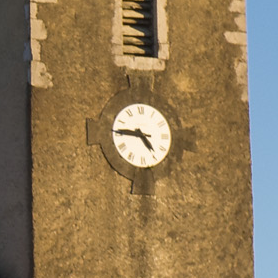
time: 4:45
